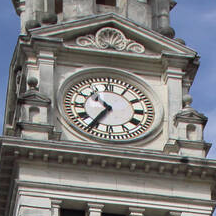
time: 10:35
